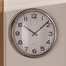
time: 10:08
